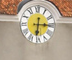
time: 6:15
